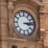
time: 3:13
